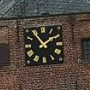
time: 1:54
